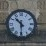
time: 10:30
